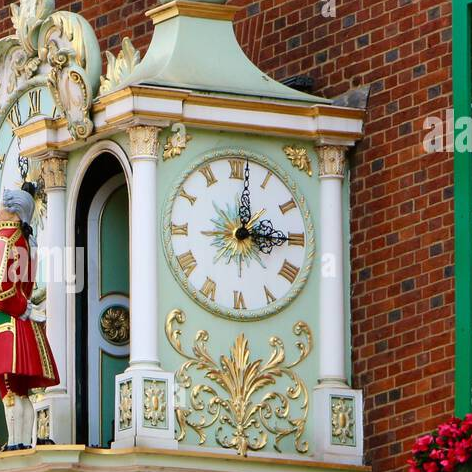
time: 12:15
